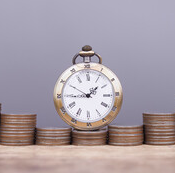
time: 1:44
